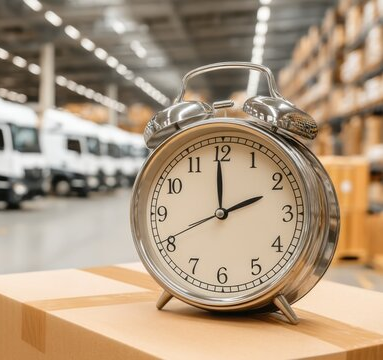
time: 1:59
